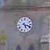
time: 5:18
